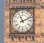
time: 11:11
